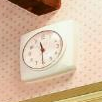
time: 11:30
